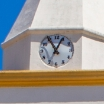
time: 11:04
